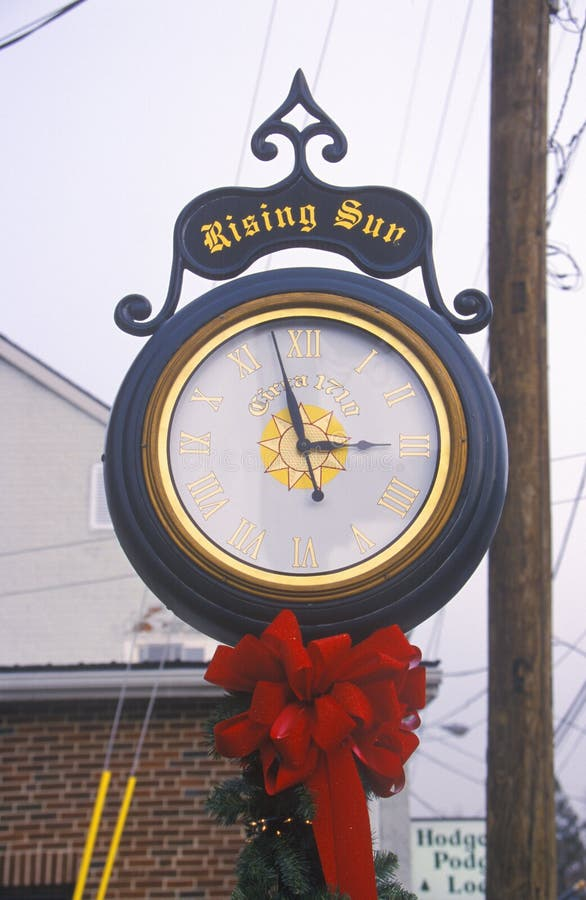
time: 2:57
